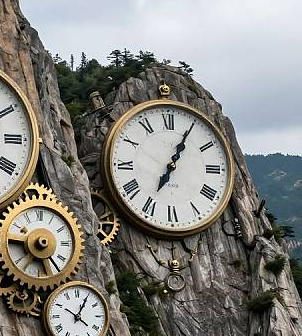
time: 7:04
